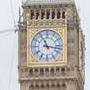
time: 11:16
